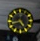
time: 4:42
